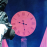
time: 9:28
